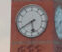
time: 5:40
